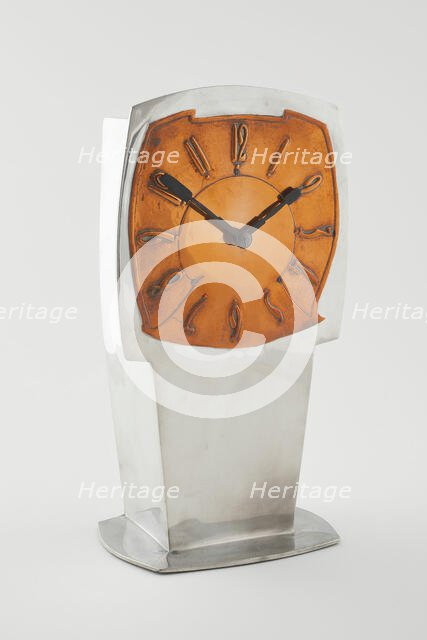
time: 1:50
